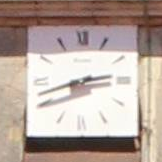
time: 2:42
